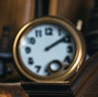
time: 2:09
